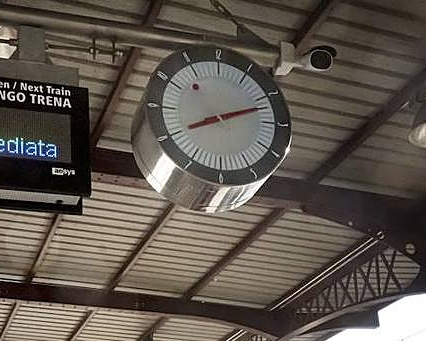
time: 8:12
